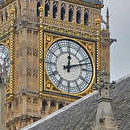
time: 12:12
